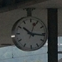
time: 10:16
